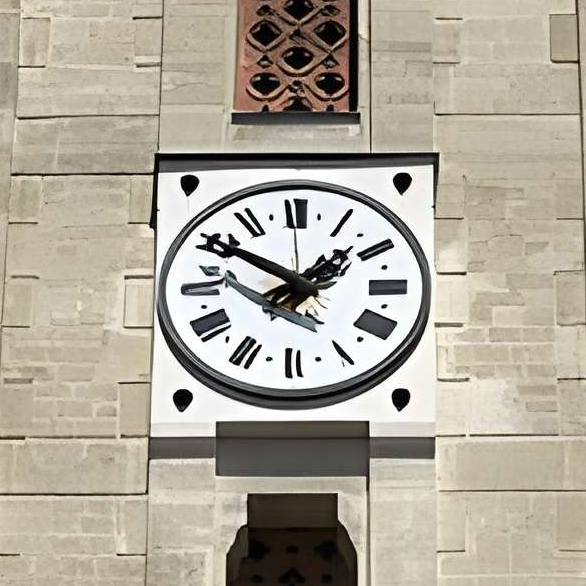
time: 1:50
